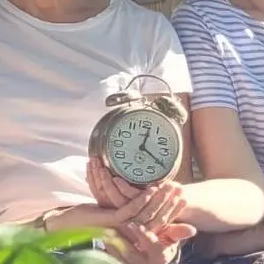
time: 12:20
